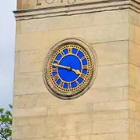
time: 3:47
